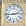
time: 2:43
